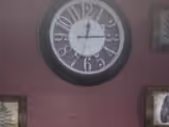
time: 12:14
